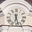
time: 6:27
